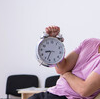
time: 8:32
